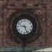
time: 9:26
